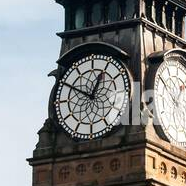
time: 12:49
